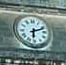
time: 6:11
